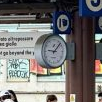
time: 9:07
